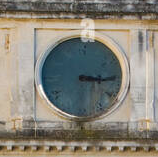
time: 3:15
